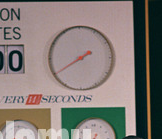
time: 1:39
